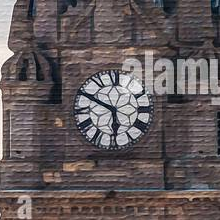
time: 5:49
